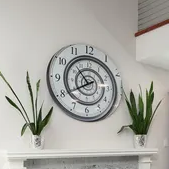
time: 10:39
